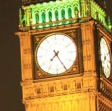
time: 7:25
